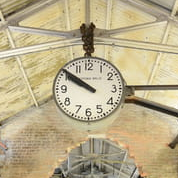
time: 9:50
